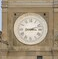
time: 3:11
